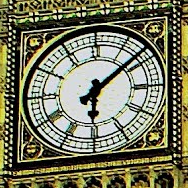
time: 6:08
